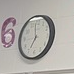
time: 6:58
